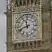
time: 11:41
